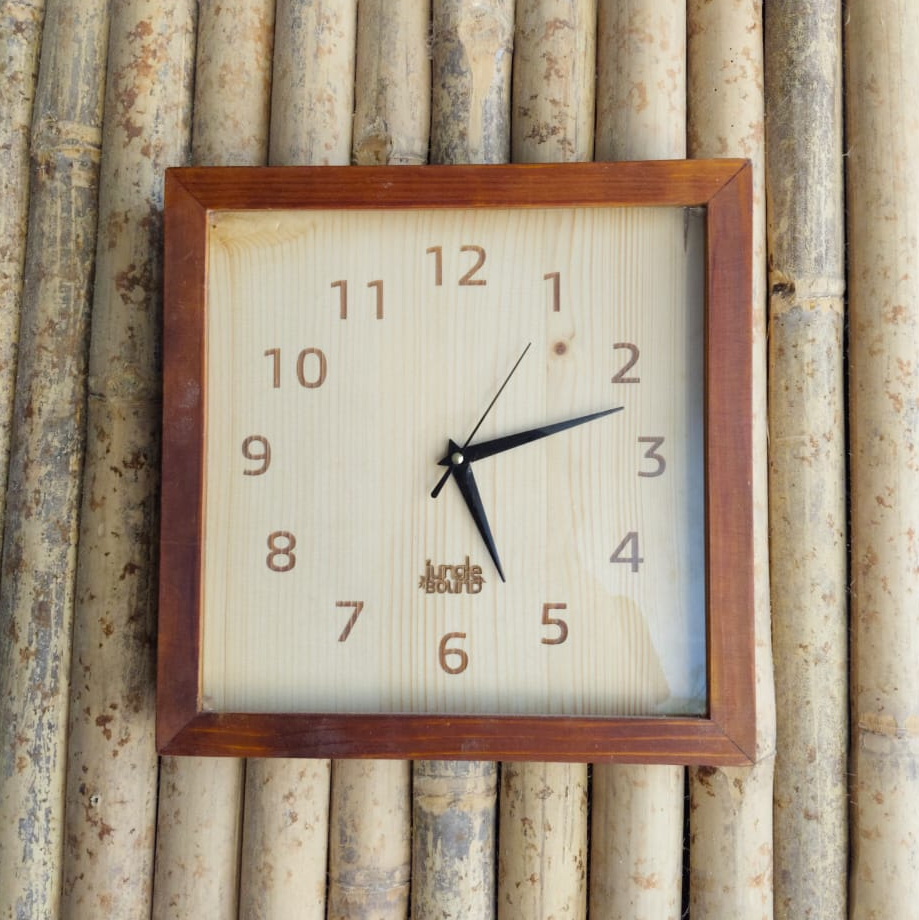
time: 5:12
